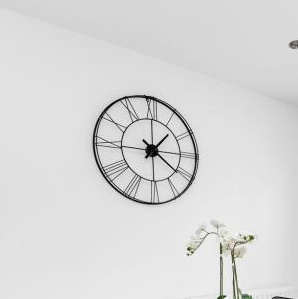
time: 1:21
